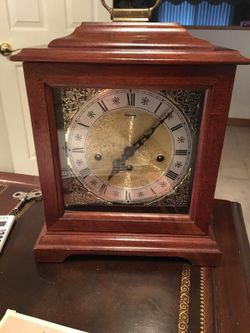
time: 7:07
